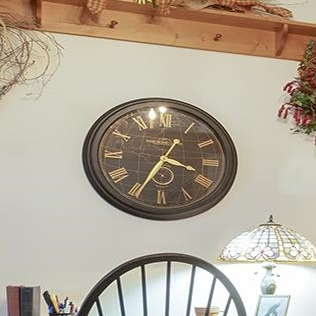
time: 3:34
